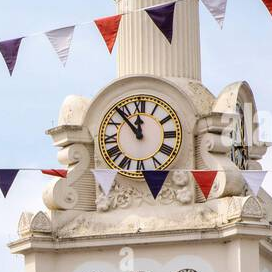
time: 11:53
